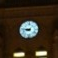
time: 8:46
